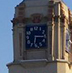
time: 6:15
